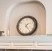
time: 1:24
